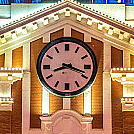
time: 8:18
